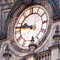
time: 9:46
